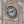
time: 1:42
